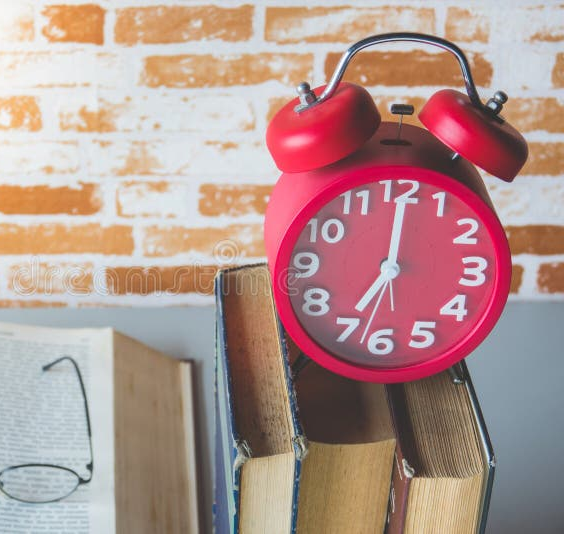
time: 7:00
